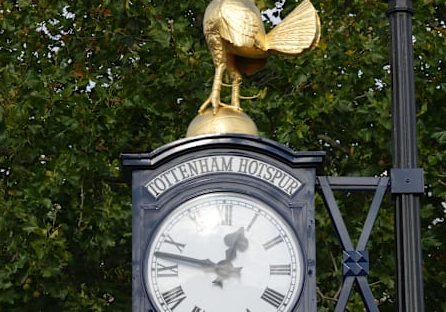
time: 12:47
